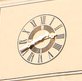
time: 2:40
